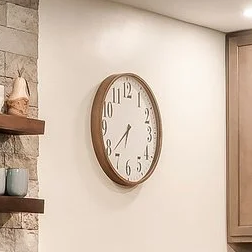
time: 6:38
